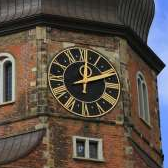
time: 12:11
